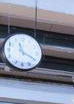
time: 11:19
